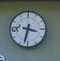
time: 3:32
